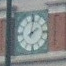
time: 2:01
